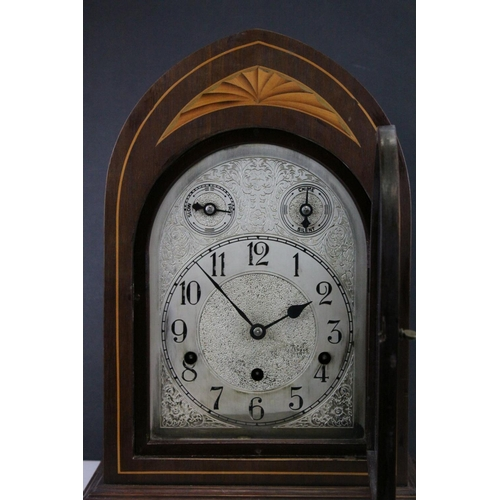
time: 1:52
